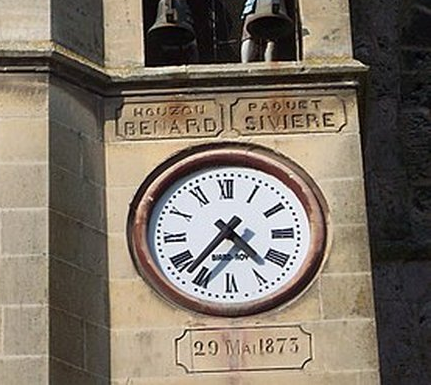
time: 4:36
